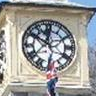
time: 11:50
